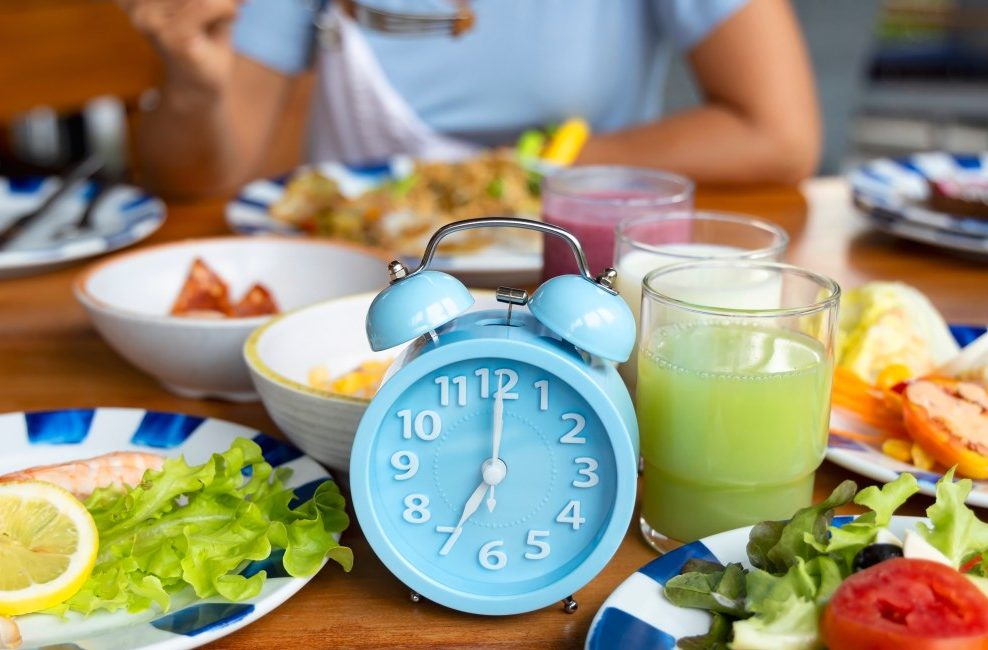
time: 7:00
